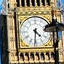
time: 4:31
